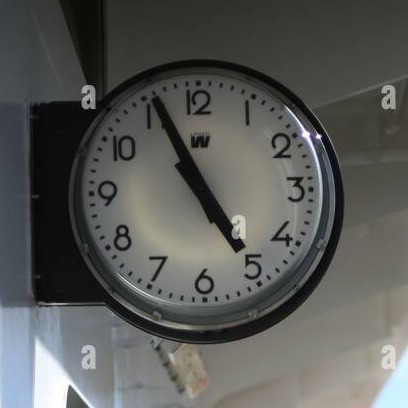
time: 4:55
